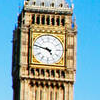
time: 4:47
